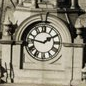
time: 1:46
